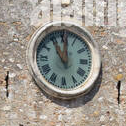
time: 11:00
